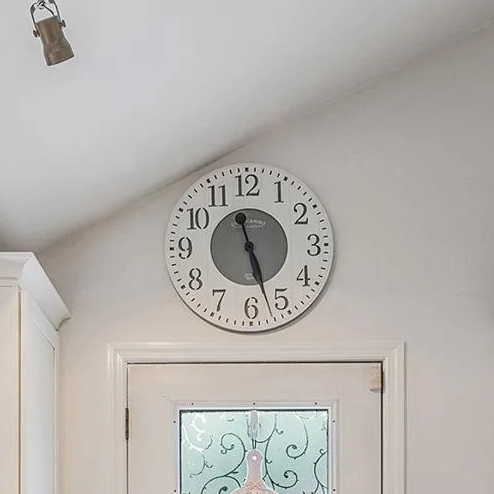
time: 5:27
